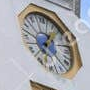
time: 1:23
